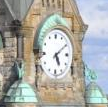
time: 5:09
